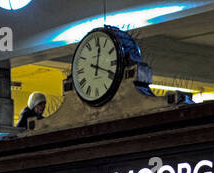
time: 12:18
